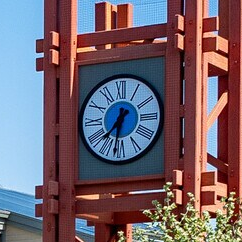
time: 7:32
